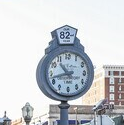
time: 10:42
